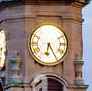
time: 6:25
